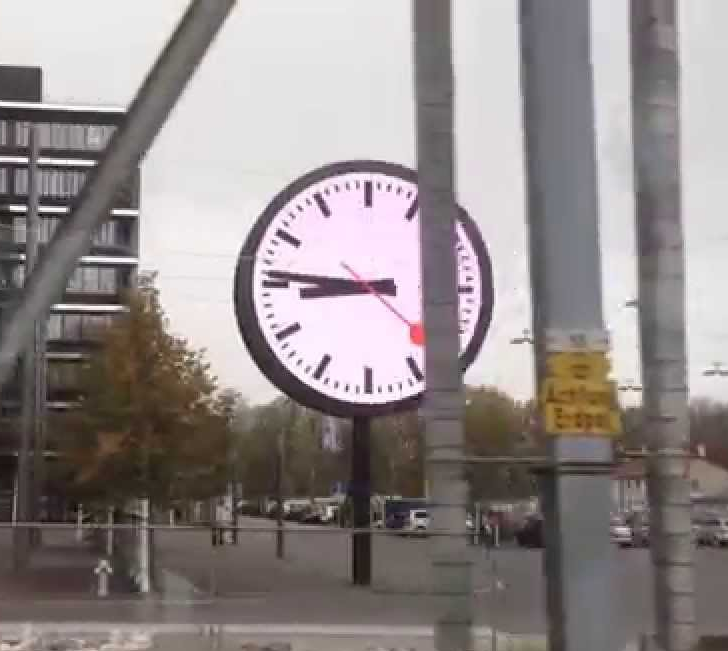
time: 8:46
